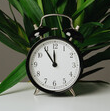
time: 11:54
